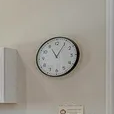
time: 11:05
